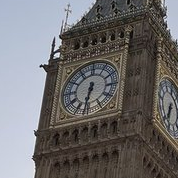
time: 6:32
